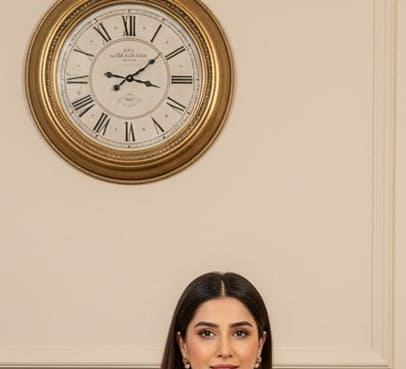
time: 3:09
